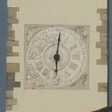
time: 6:01
